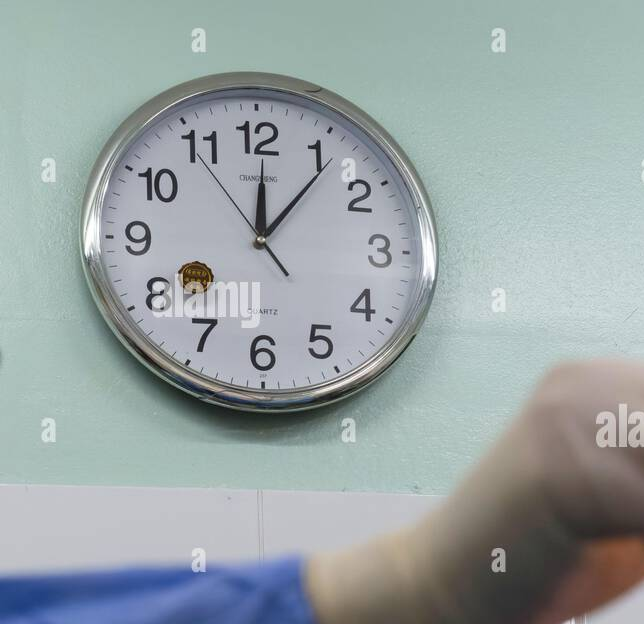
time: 12:06
